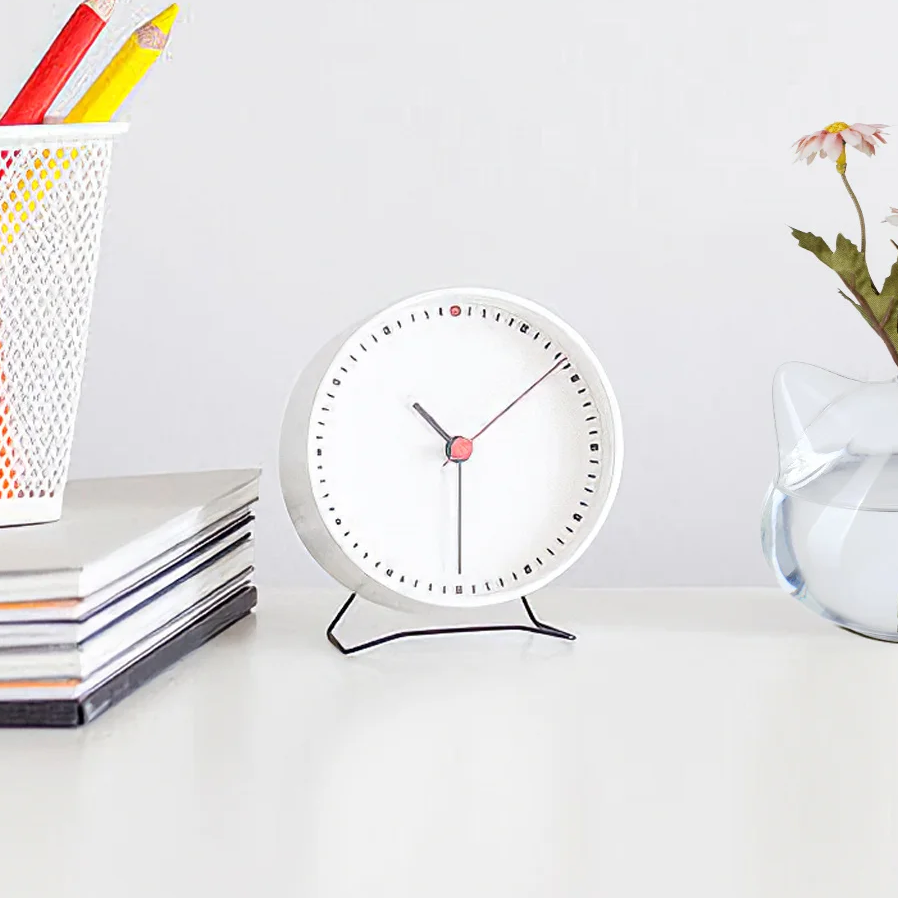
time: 10:29
